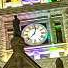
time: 12:37
